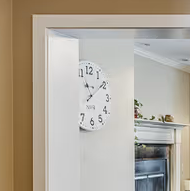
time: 11:09
